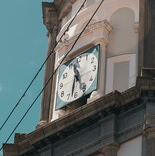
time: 11:32
